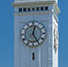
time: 12:24
